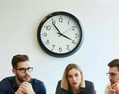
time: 3:54
